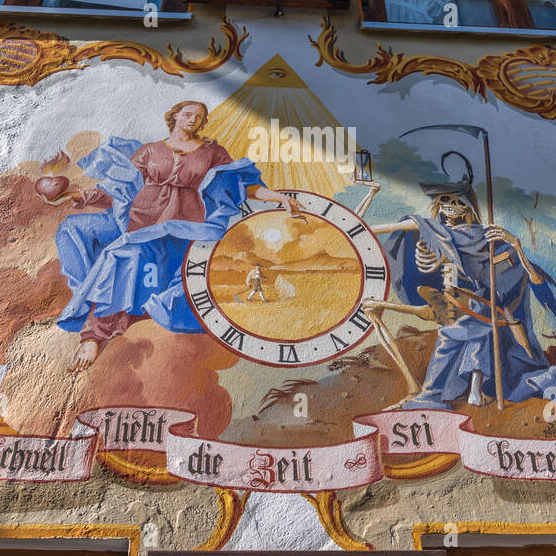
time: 5:14
